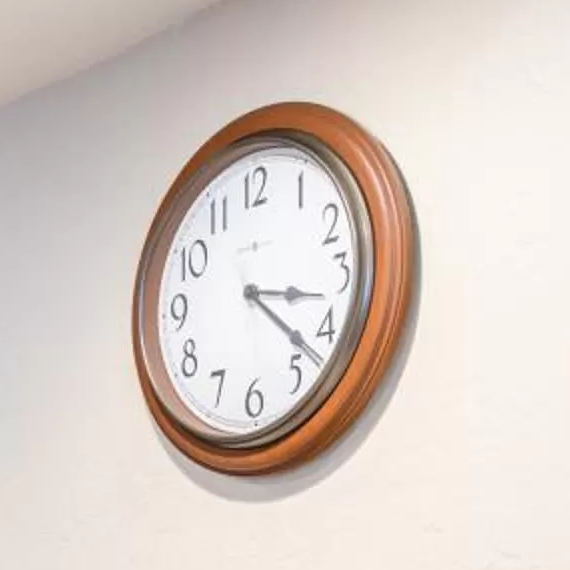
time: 3:22
